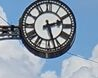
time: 2:27
